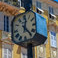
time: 12:23
